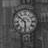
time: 5:51
